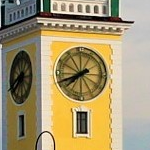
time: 7:41
